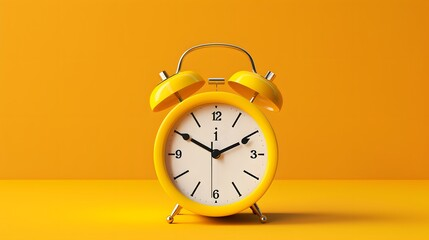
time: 1:50
